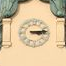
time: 3:13
